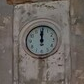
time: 12:00
